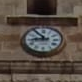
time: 8:53
